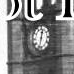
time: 12:32
